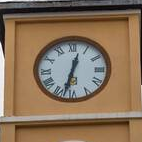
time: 12:32
